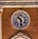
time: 10:28
